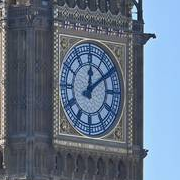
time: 12:09
